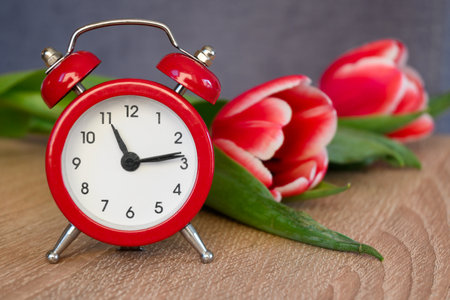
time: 11:13
